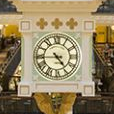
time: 4:44
